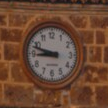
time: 8:47
